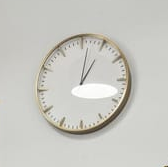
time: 1:01
